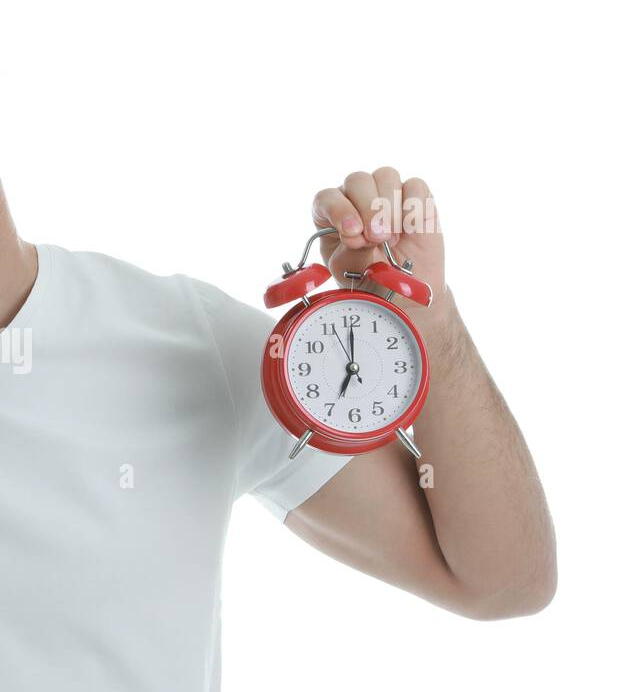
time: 7:00
